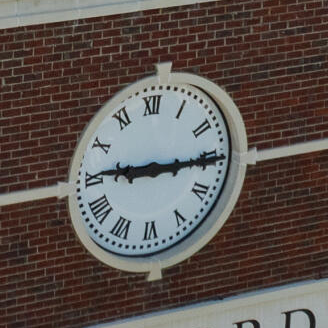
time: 9:15
